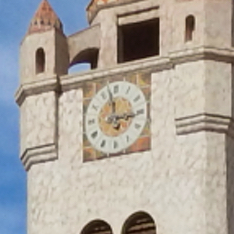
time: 2:58
